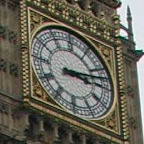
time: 3:12
